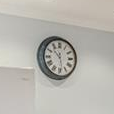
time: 10:28
